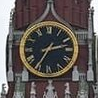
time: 2:35
